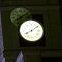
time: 8:09
